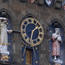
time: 1:32
